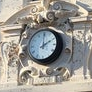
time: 2:00
